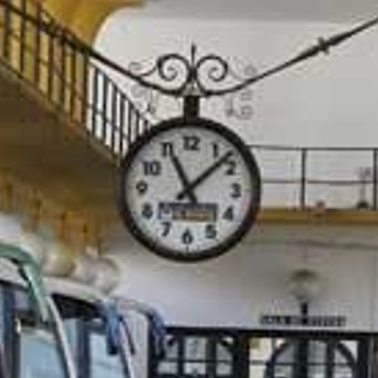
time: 11:07
